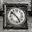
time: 10:24
